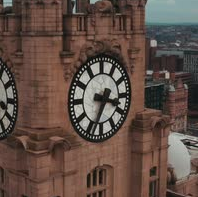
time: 3:34
